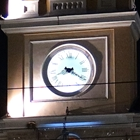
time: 8:20
